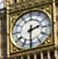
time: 2:30
